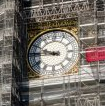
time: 9:45
